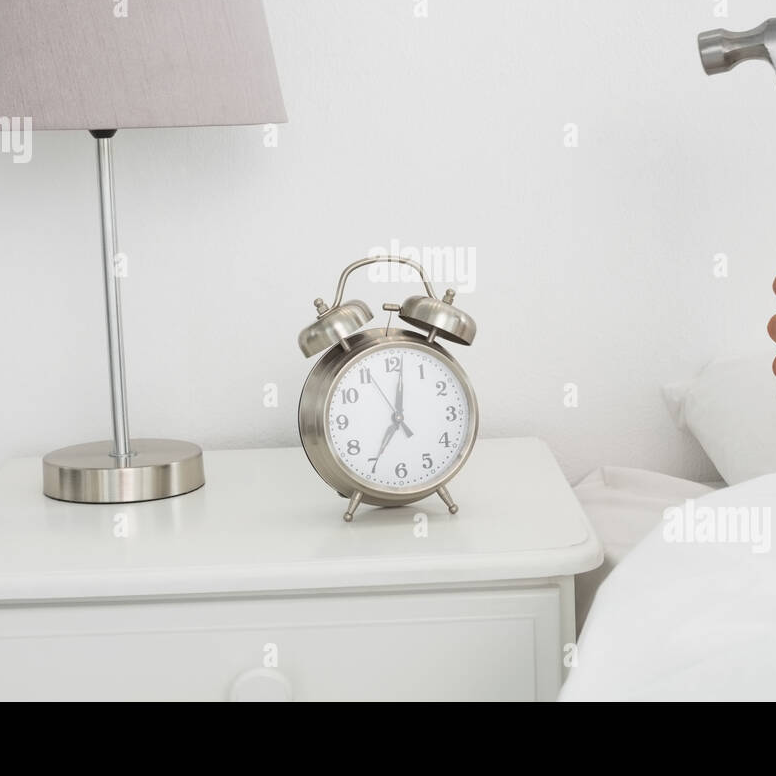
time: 7:01
